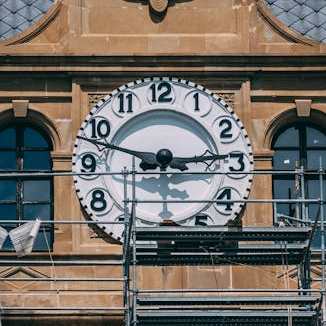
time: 2:48
